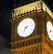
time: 7:13
